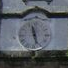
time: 11:27
